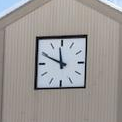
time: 11:49
